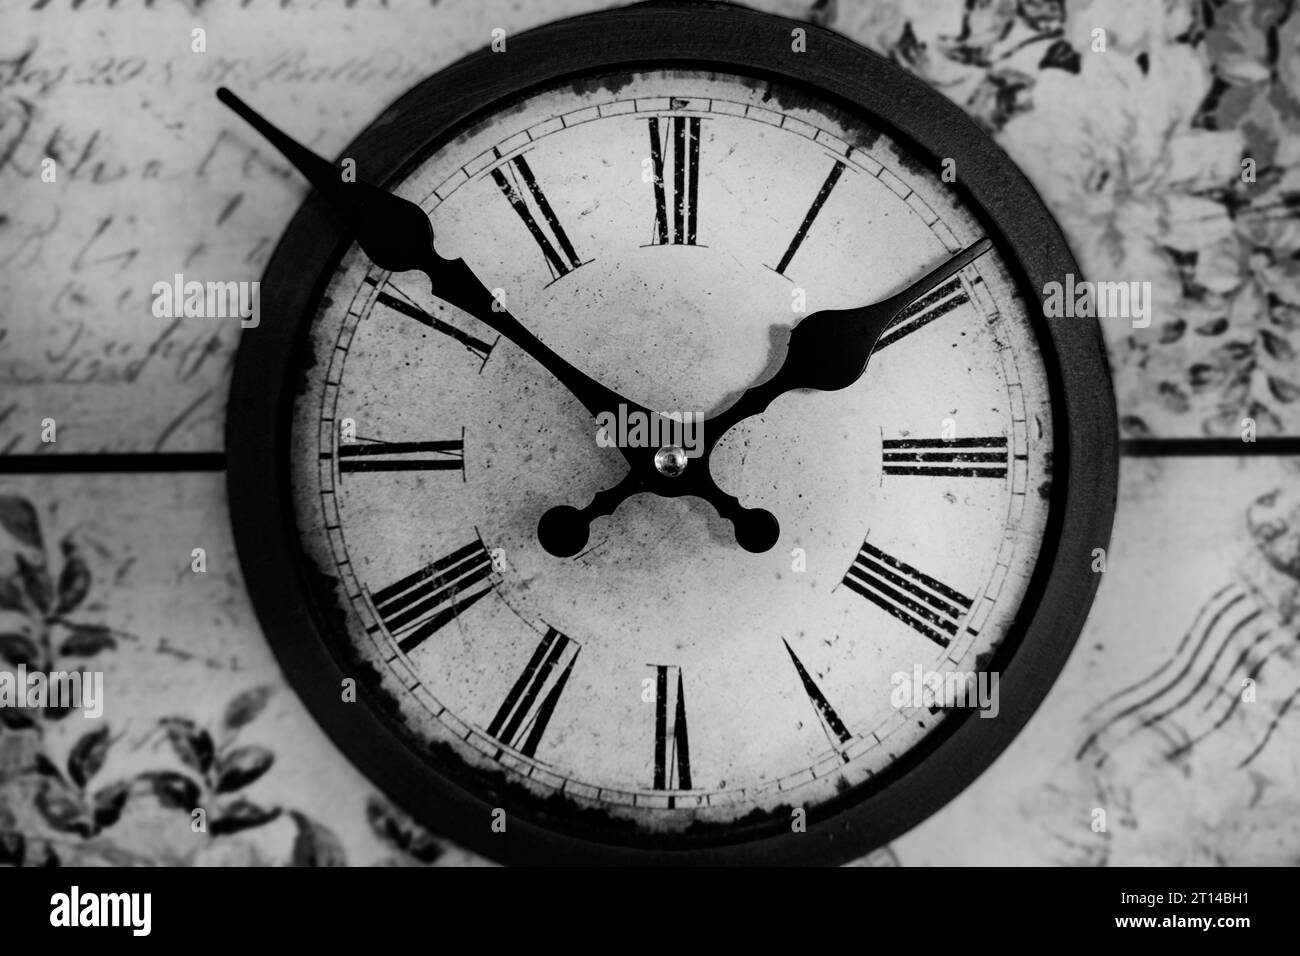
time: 1:51
